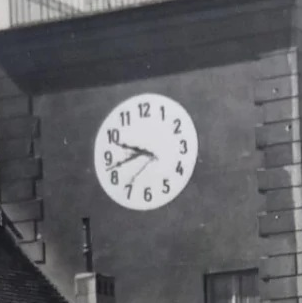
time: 9:42
